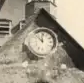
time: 11:52
